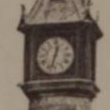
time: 12:32
